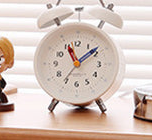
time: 11:08
